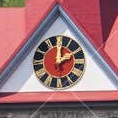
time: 2:00
